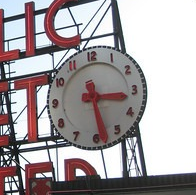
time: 3:28
